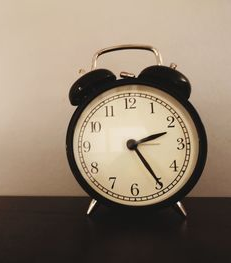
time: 2:24
